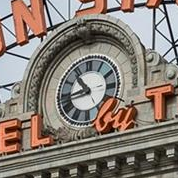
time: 10:43
